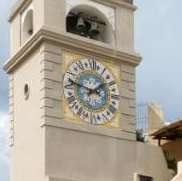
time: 1:46
